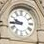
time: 9:44
